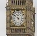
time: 5:51
